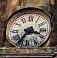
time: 3:35
